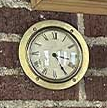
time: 3:24
